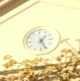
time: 1:26
